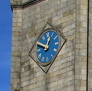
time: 12:49
